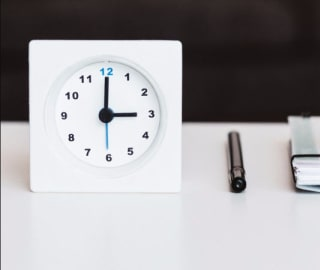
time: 3:00
